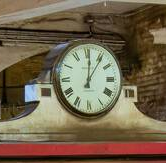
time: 12:06
